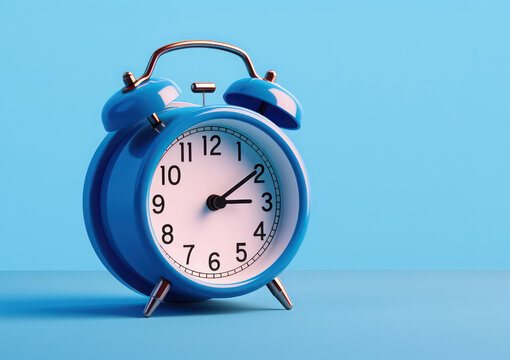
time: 3:09
